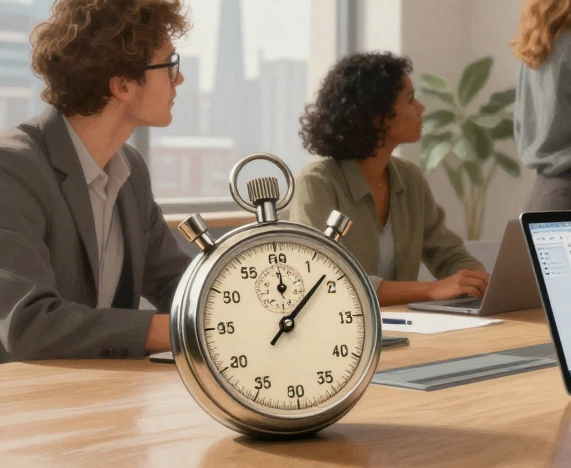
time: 12:07
